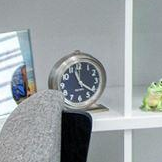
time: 11:21
